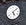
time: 5:08
